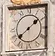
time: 1:38
